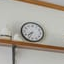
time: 7:33
